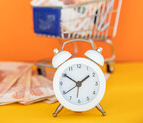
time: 1:50
